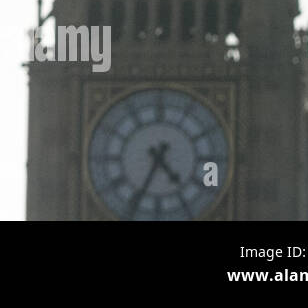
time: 4:34
